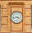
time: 3:42
